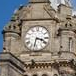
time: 3:32
